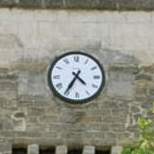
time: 4:35
